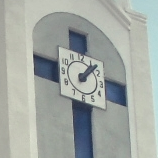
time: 1:07
